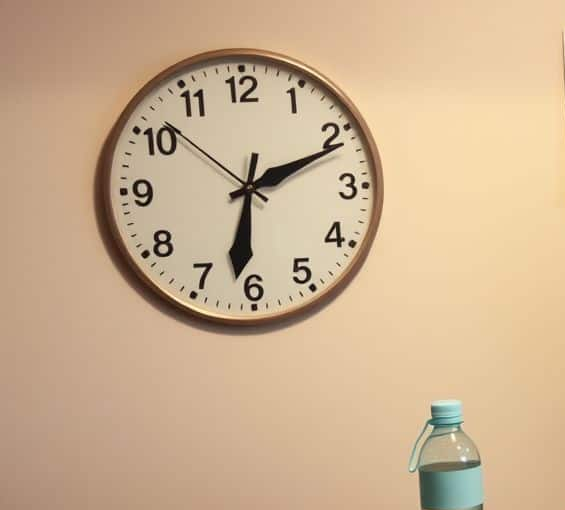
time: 6:11
